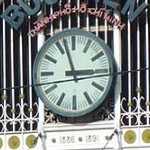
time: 2:57
